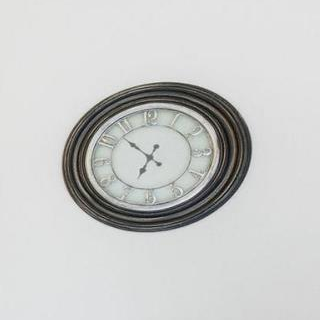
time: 10:34
